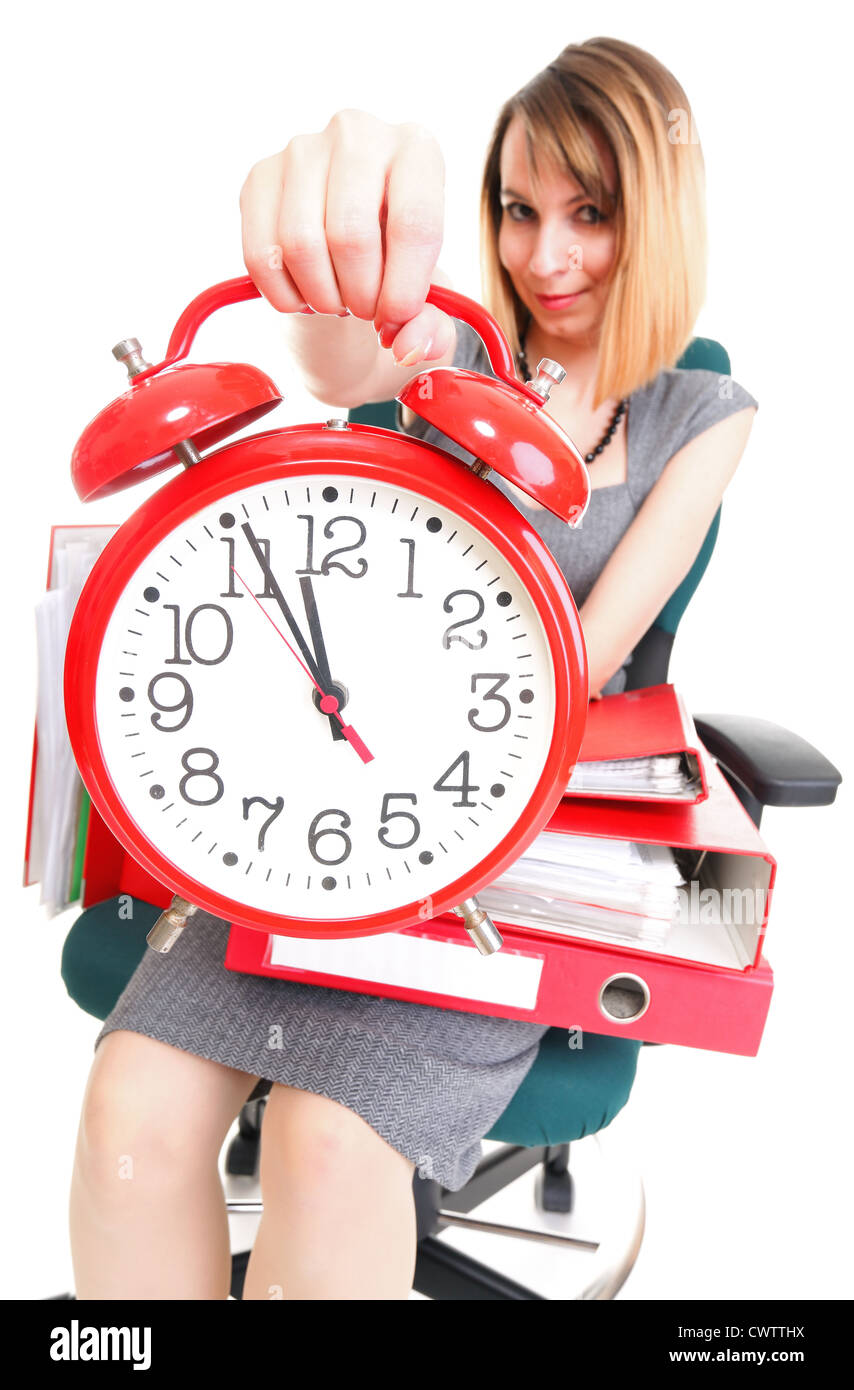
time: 11:55
